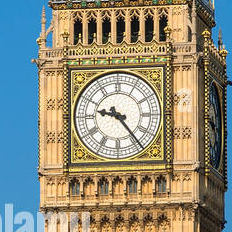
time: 9:23
